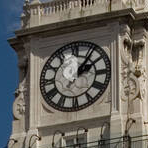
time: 2:06
